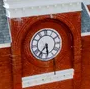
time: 5:36
